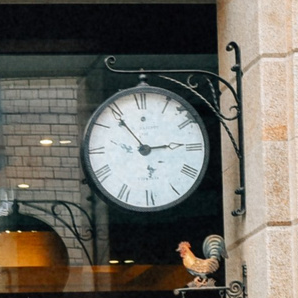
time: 2:54
